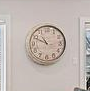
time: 10:49
